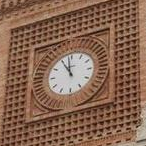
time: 10:59
